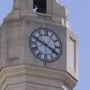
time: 3:48
